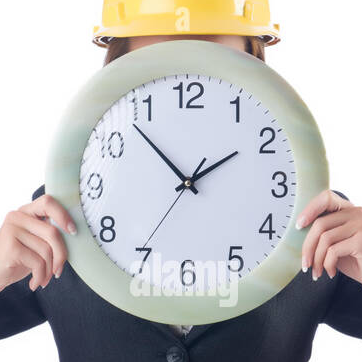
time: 1:53
